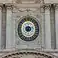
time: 7:12
